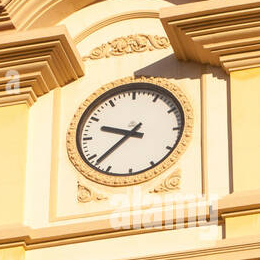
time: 9:38
